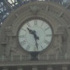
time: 10:28
